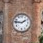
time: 1:46
